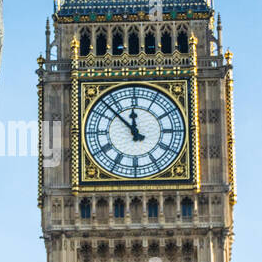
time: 11:52
